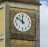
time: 11:50
